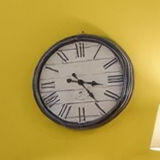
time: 3:23
